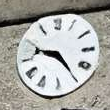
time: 9:24
